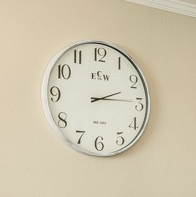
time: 2:14
